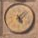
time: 5:07
